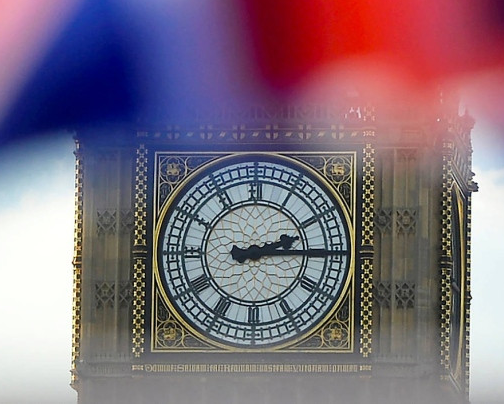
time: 2:14
